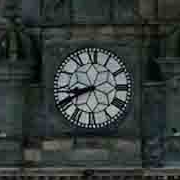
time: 8:40
